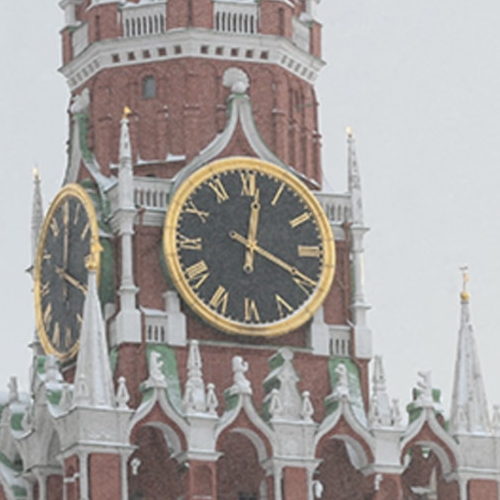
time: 12:19
